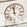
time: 11:58
